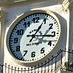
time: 3:04
